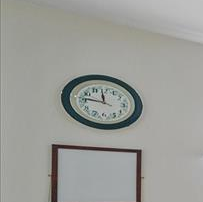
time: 11:46
